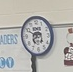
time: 6:49
